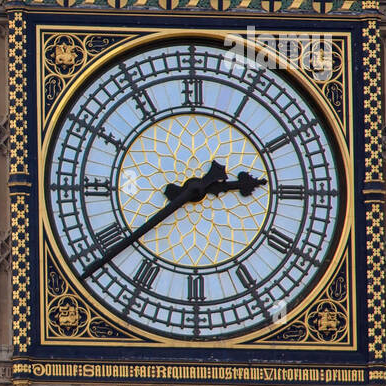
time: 2:38
